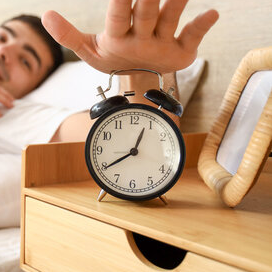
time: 12:39
